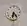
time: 6:23
